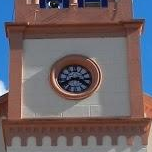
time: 3:40
